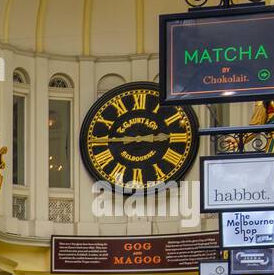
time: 2:45
